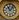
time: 11:07
